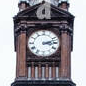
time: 3:12
